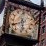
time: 5:40
